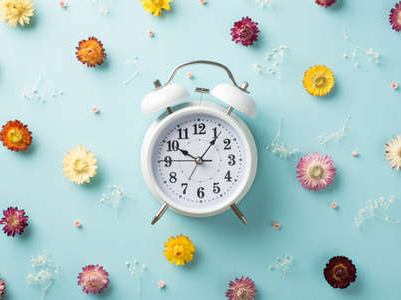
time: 10:06
